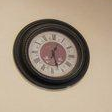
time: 12:27
